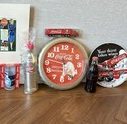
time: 5:46
